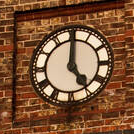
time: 5:00
